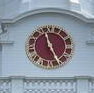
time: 11:25
